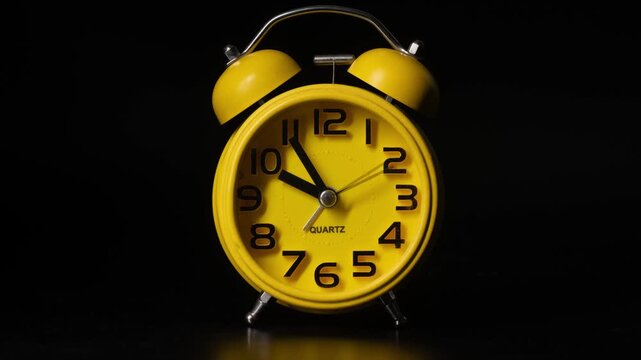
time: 9:54
